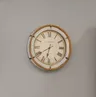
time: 6:40
